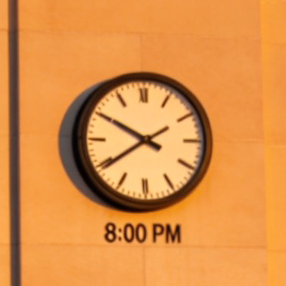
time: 7:49
